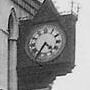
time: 4:35
